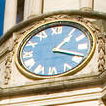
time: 1:18
